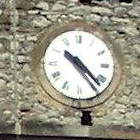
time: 10:22
